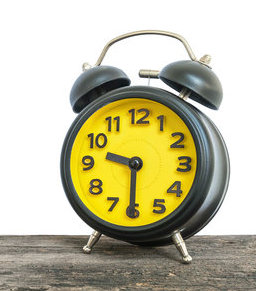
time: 9:30
